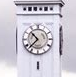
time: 10:37
